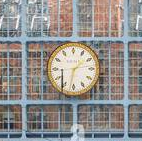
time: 1:32
